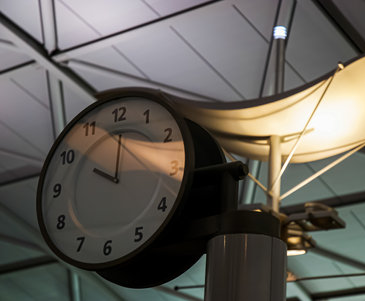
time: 10:00
